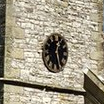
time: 12:26
